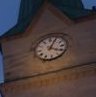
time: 4:04
